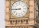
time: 8:45
